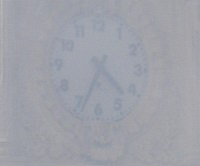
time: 4:33
